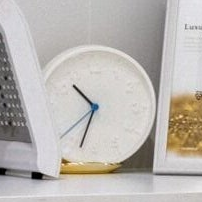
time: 10:33
